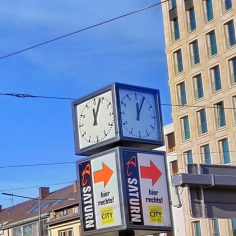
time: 12:04
